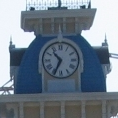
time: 10:34
